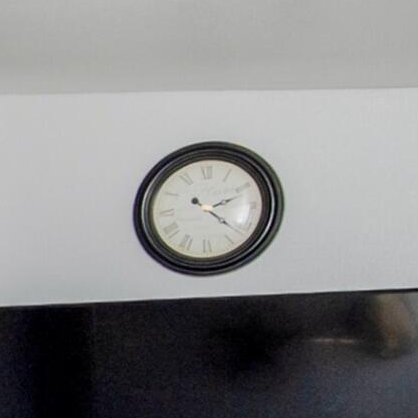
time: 2:21
